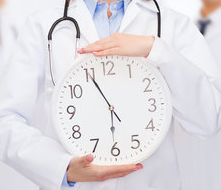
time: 5:55
